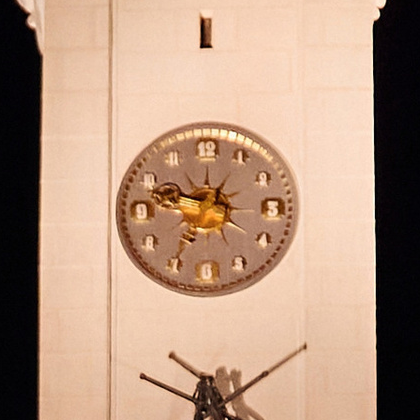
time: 12:48
